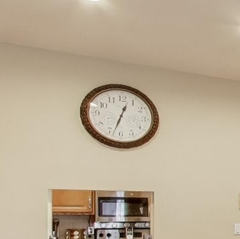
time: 12:33
